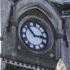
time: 2:52
